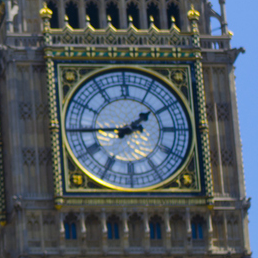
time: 1:44
